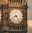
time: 8:24
